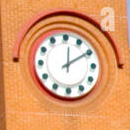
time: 12:09
